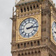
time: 2:14
